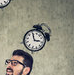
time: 2:56
